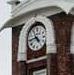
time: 4:44
